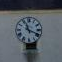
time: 11:18
